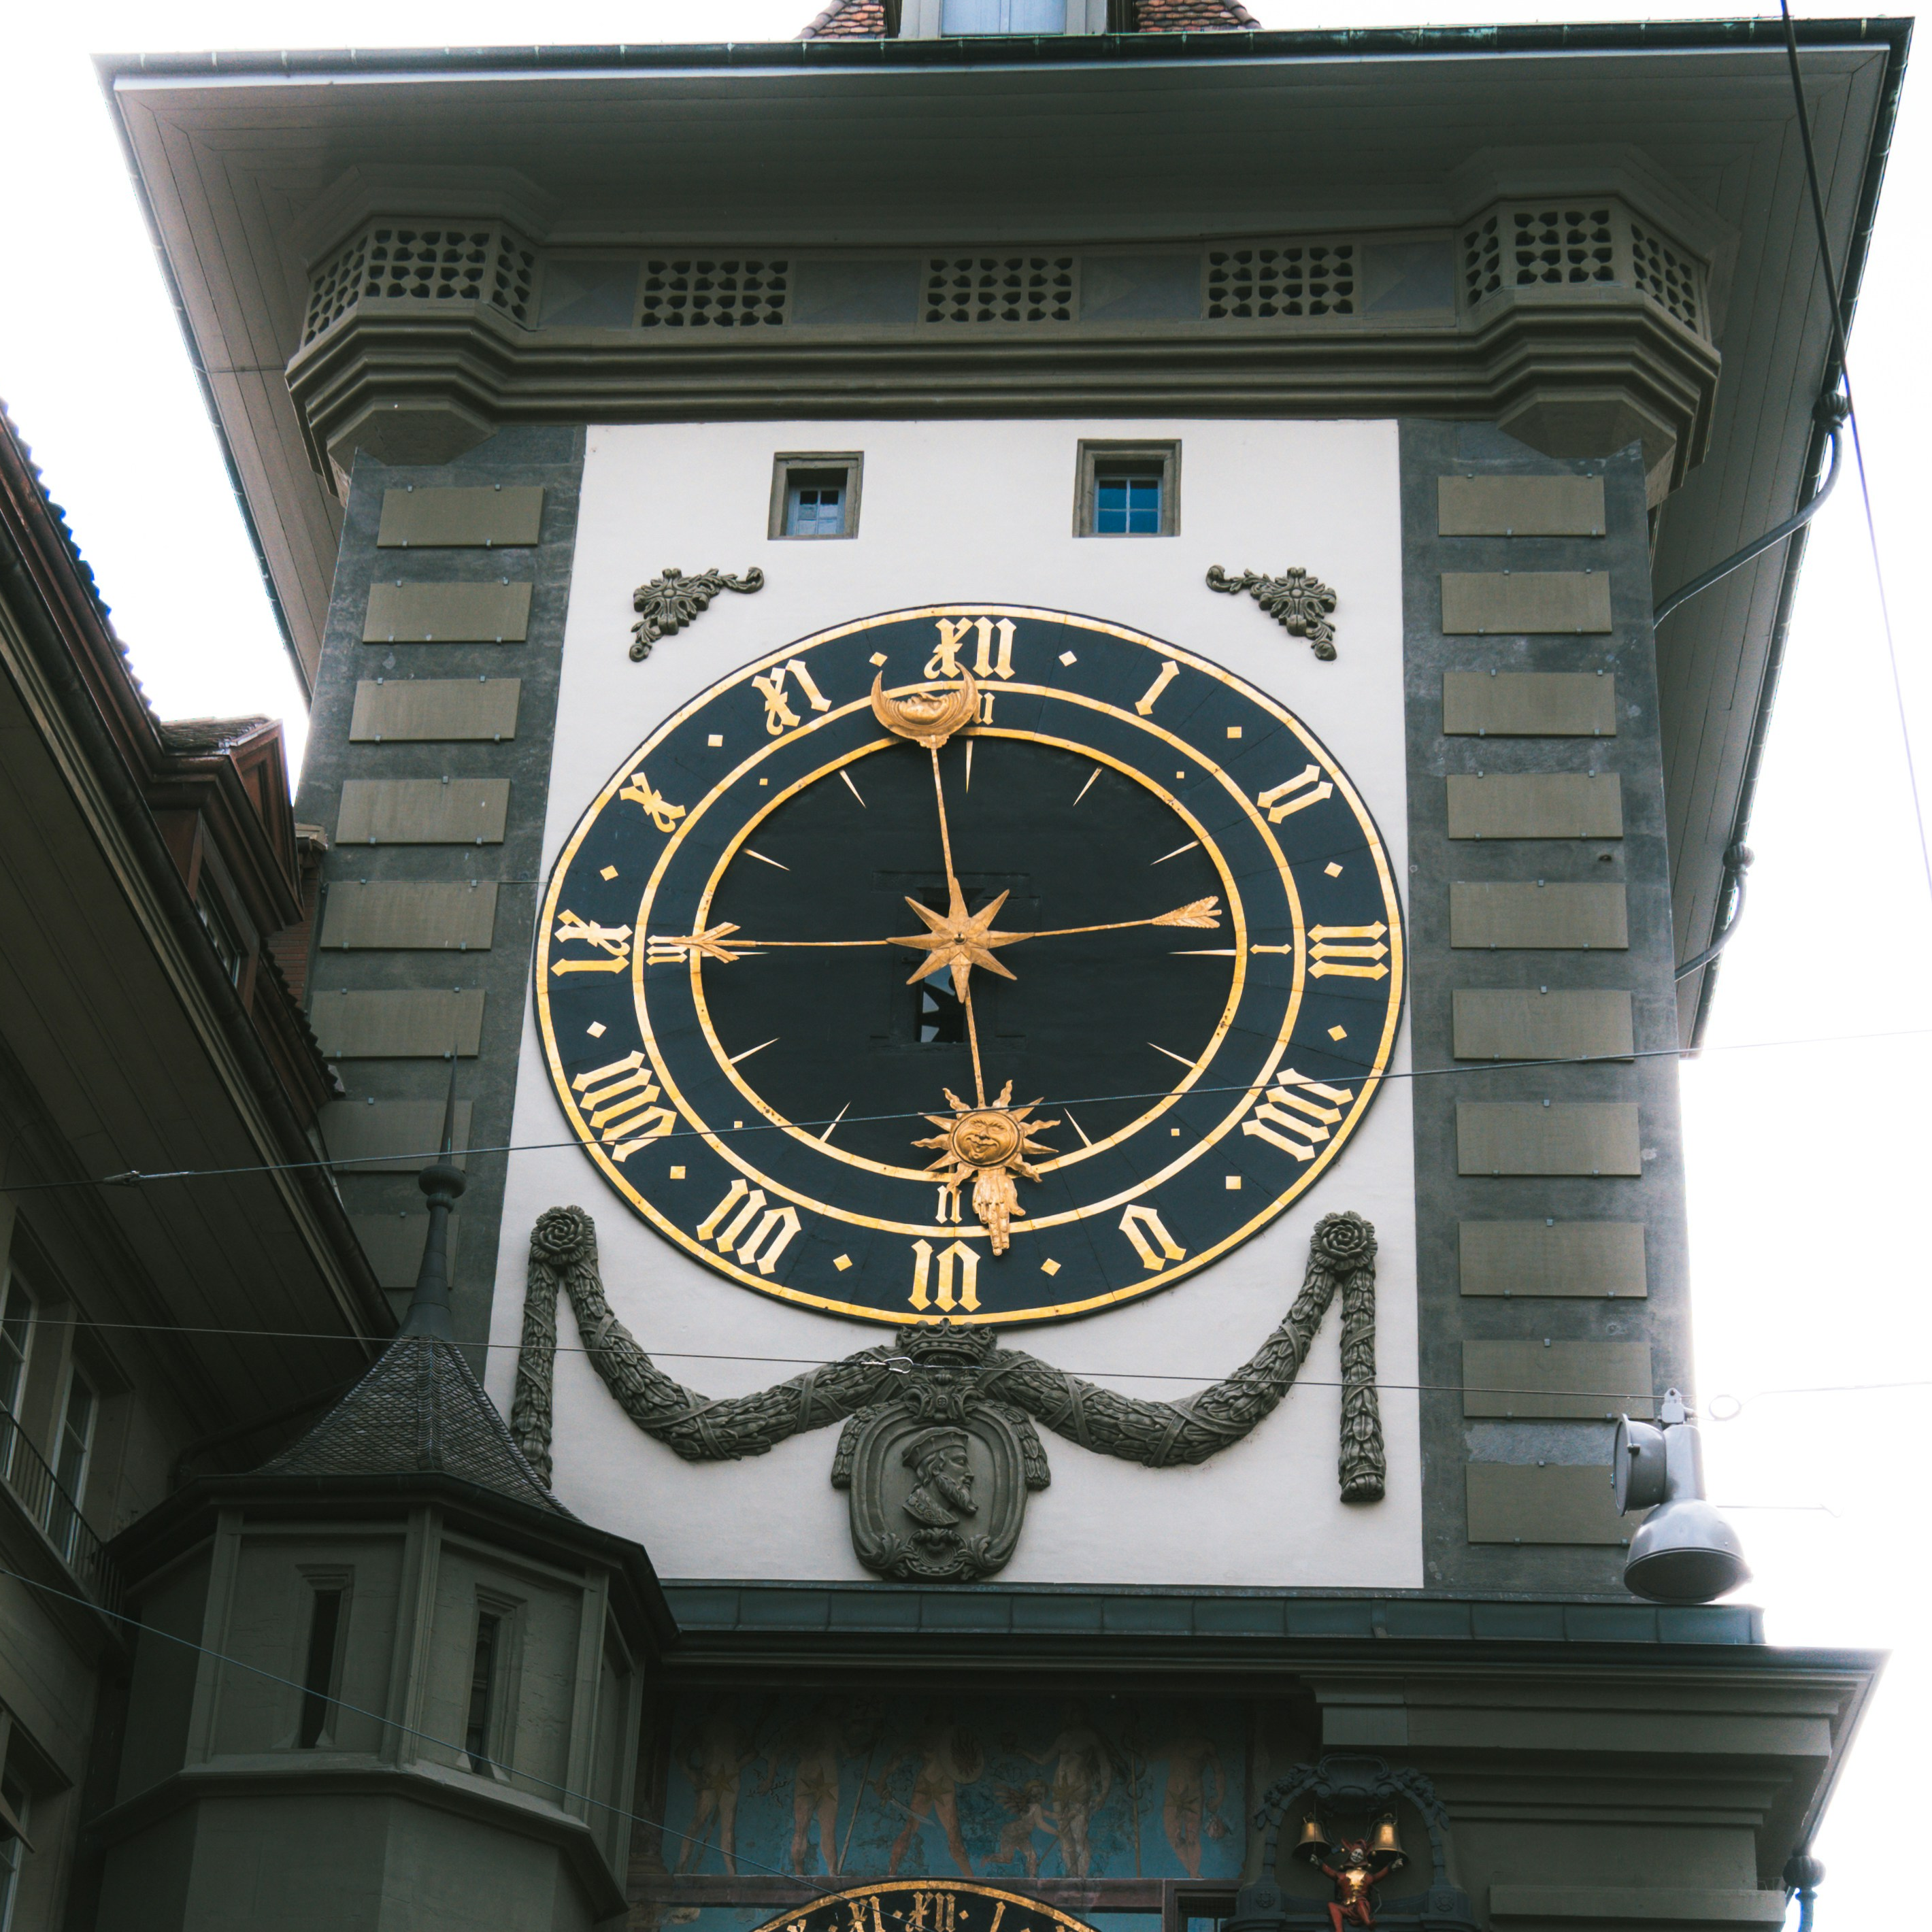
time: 5:59
